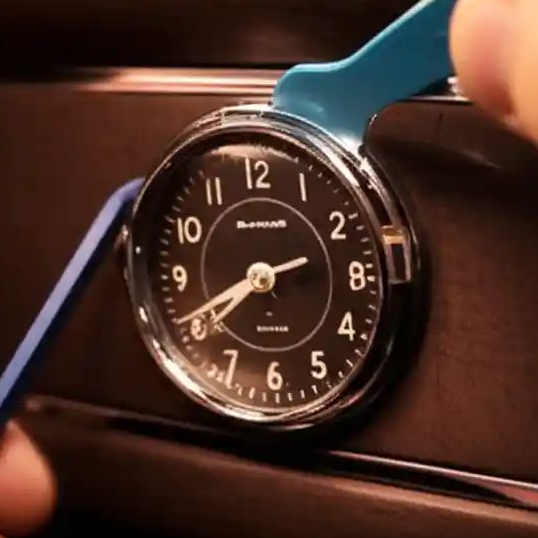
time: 7:40
